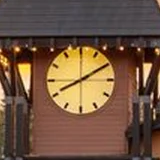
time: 8:09
